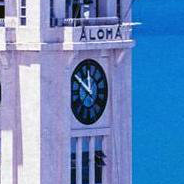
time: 11:50
